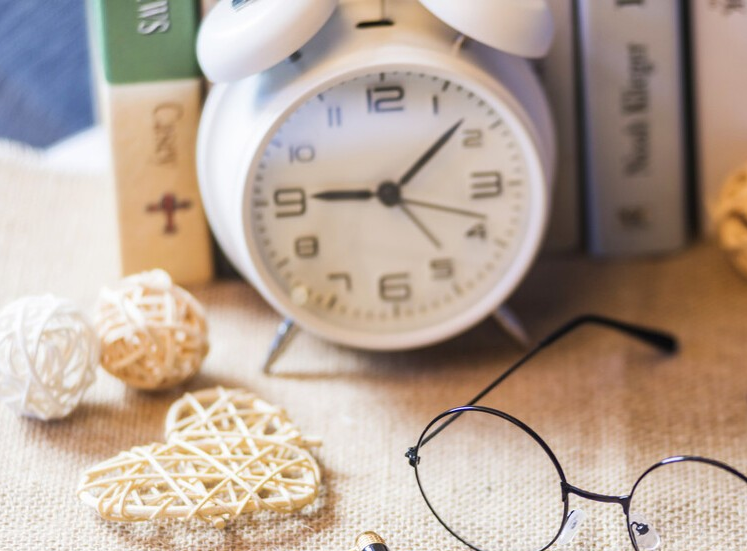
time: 9:07
